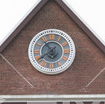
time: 7:54
